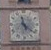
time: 11:21
